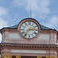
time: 2:36
